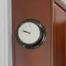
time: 9:47
